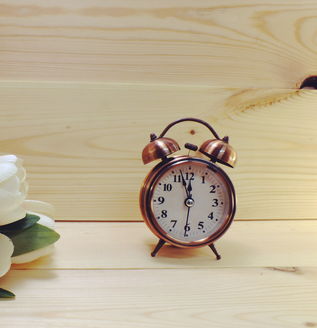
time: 11:56
